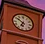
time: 6:51
